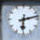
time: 6:13
